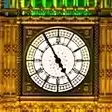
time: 4:54
